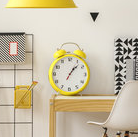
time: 1:07
